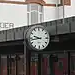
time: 9:43
